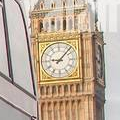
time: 9:07
